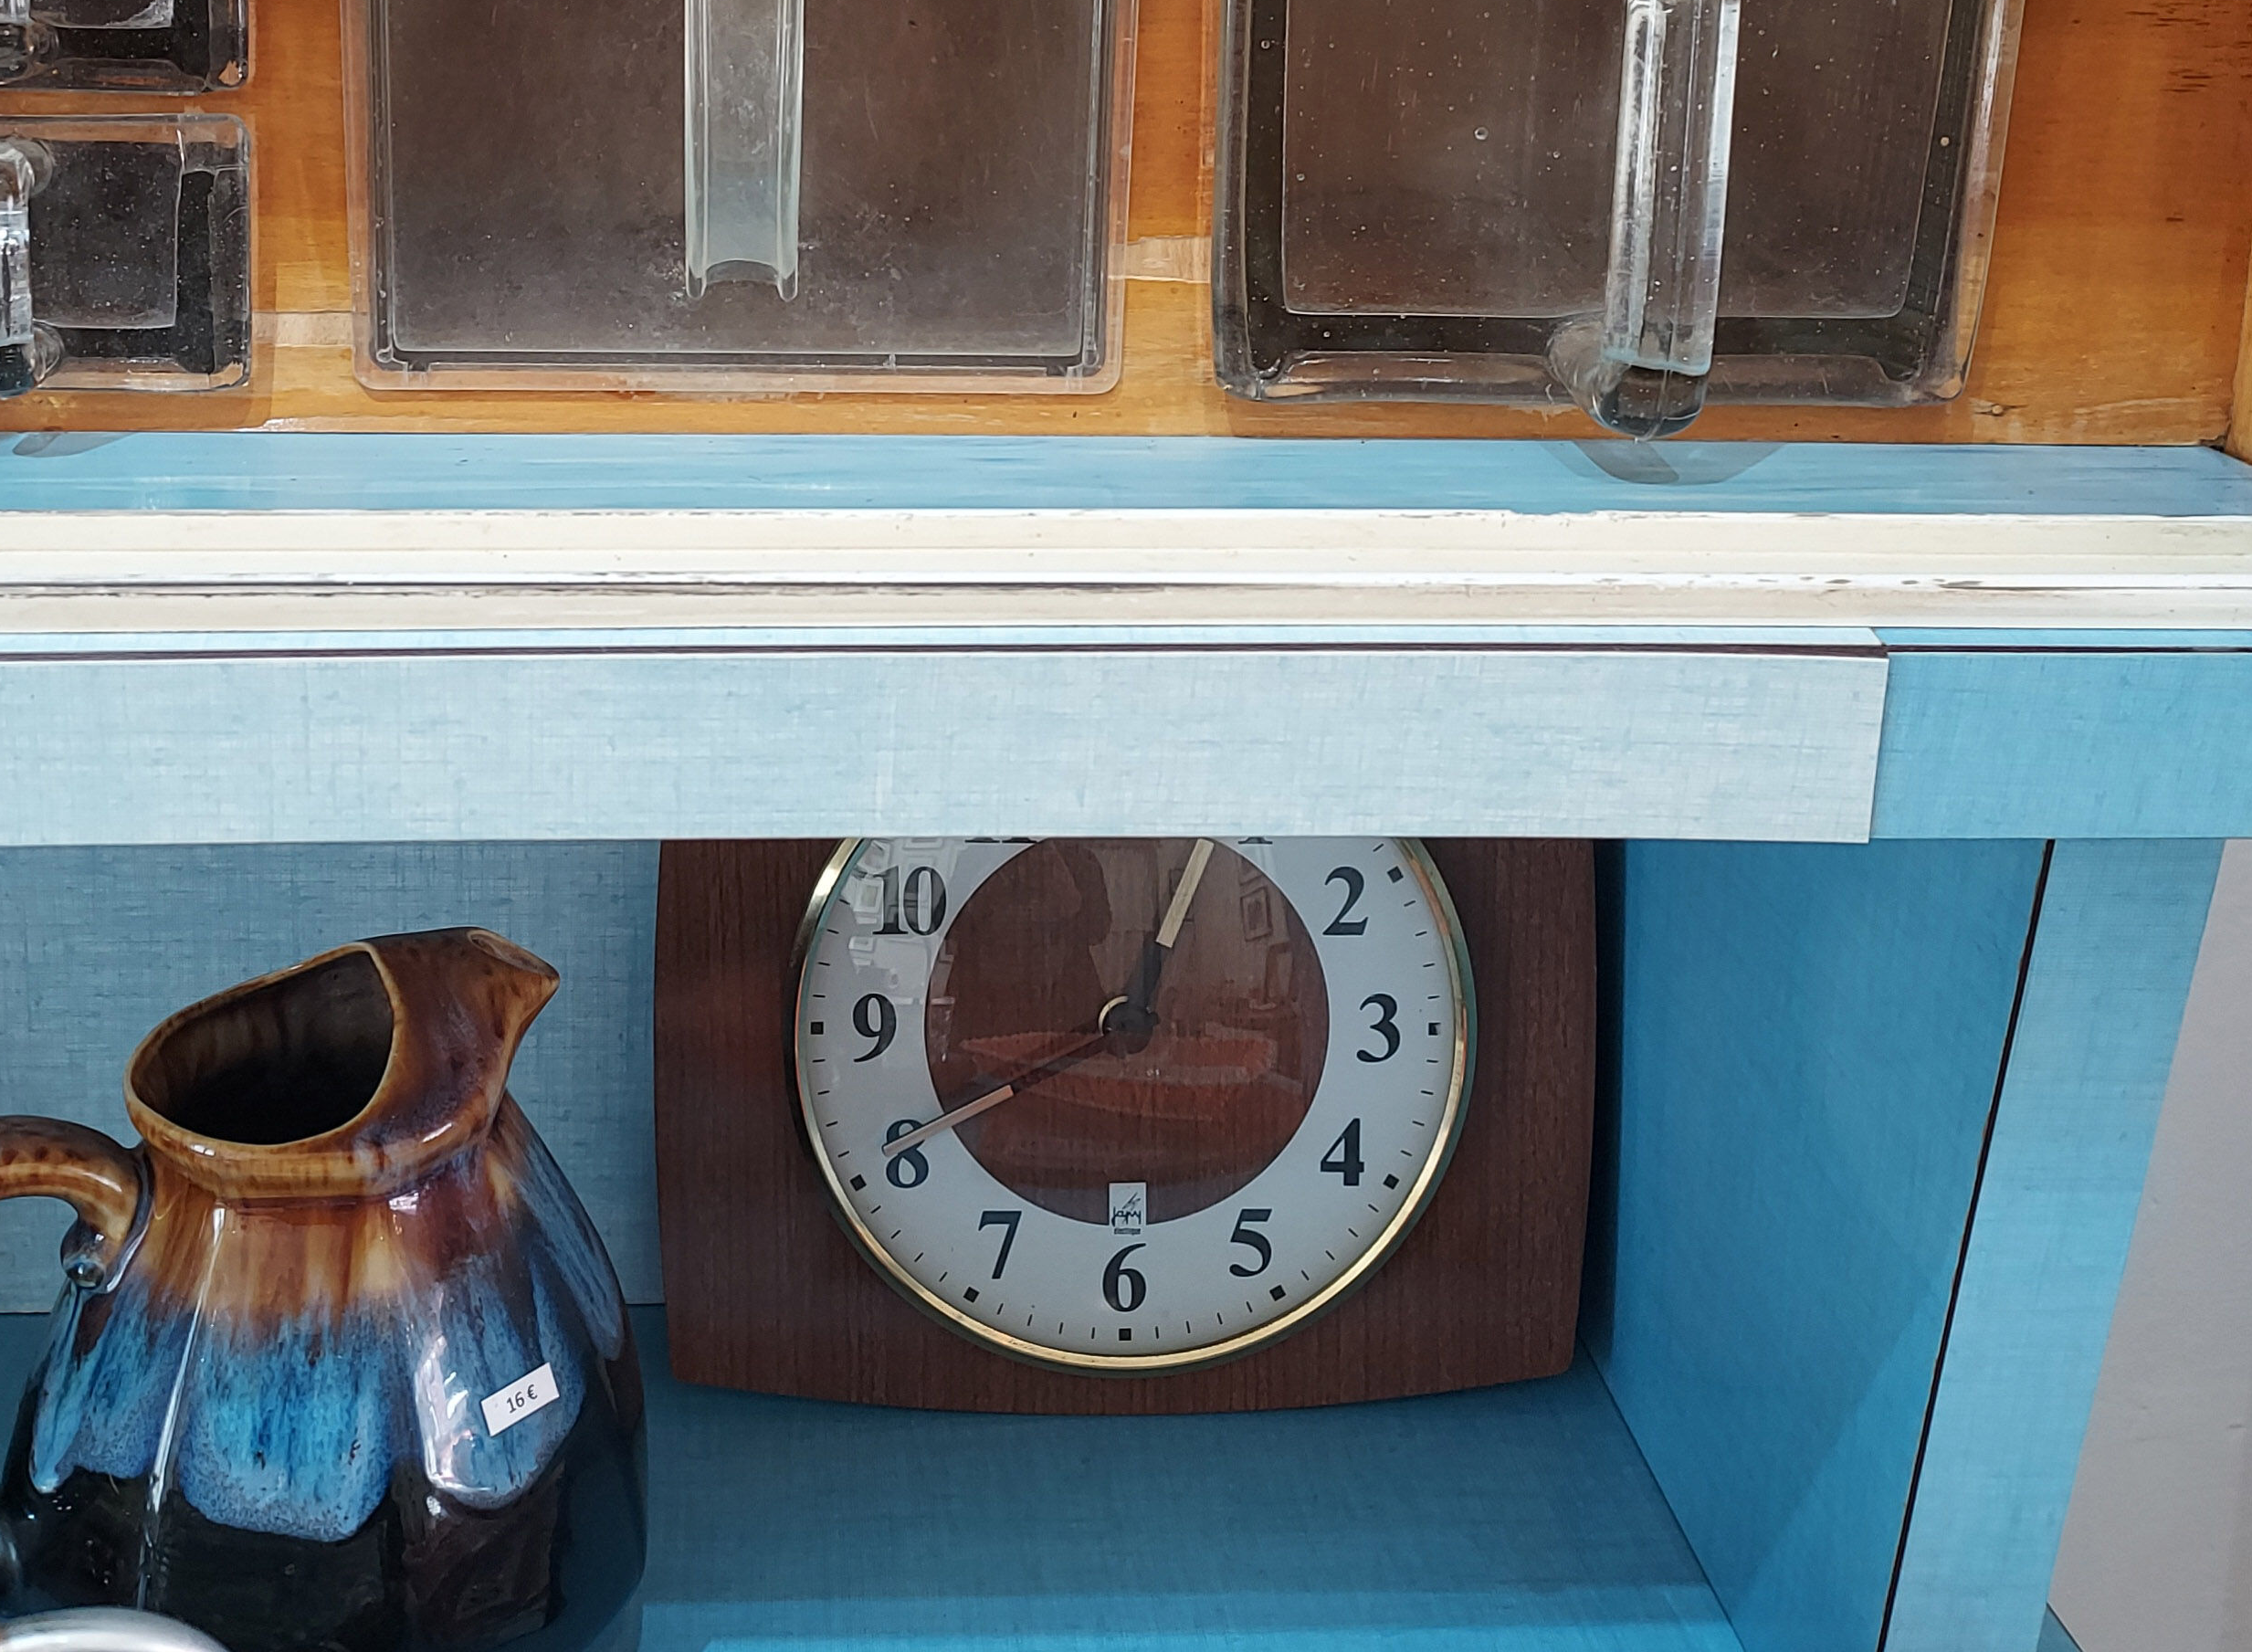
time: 12:40
